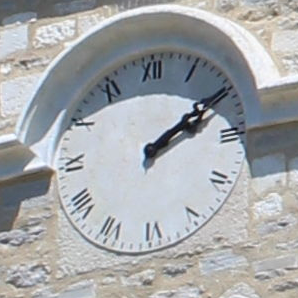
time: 2:09
